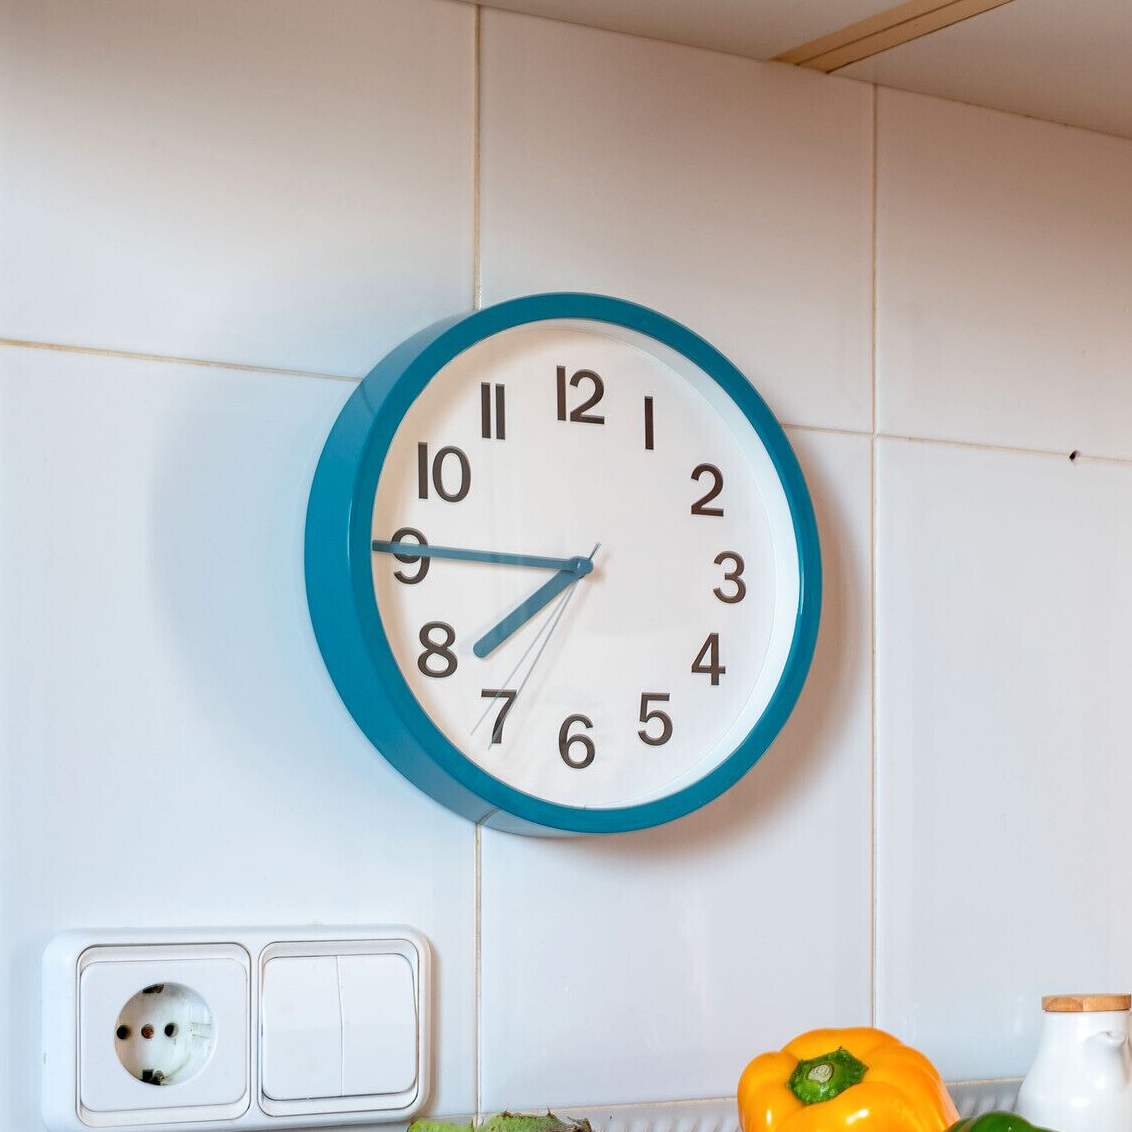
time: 7:45
